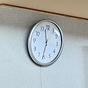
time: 11:31
